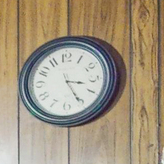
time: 3:25
